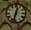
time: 12:32
